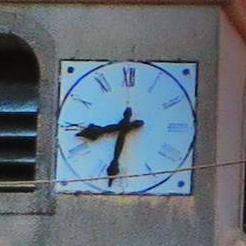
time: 8:32
